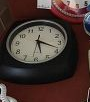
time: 5:18
